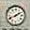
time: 1:41
